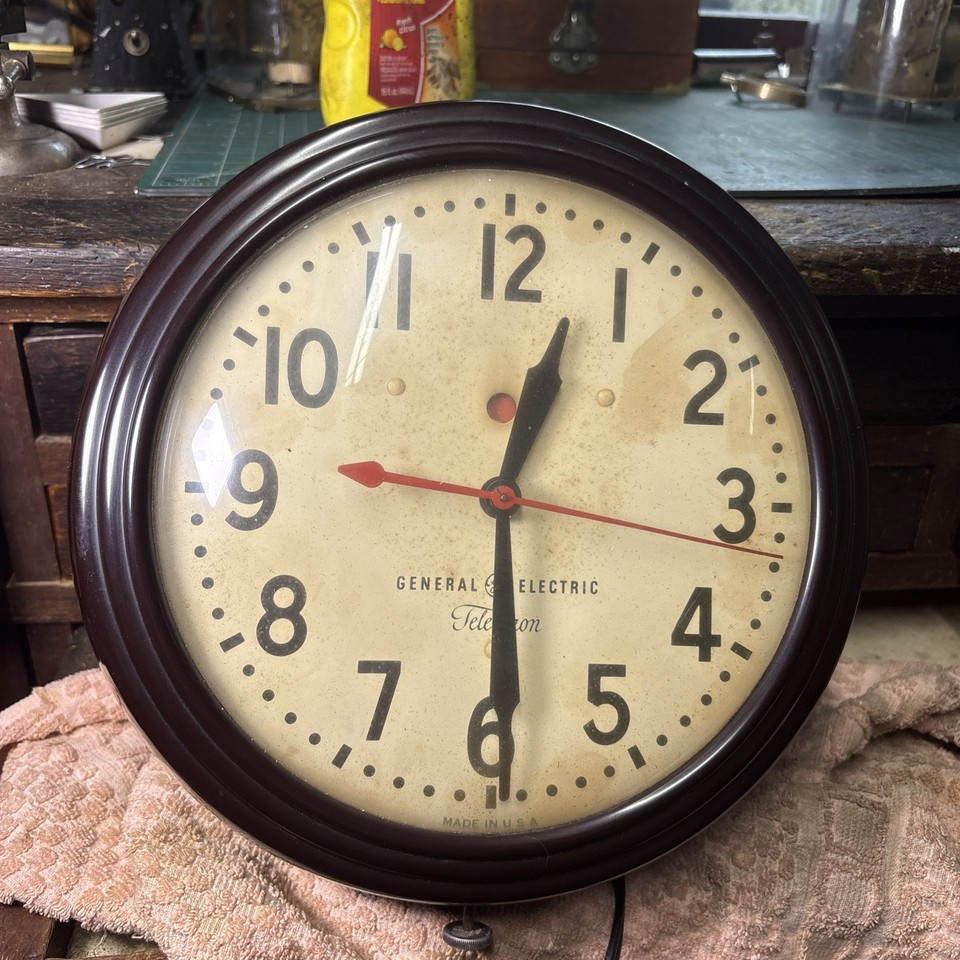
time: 12:29
